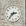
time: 2:36
